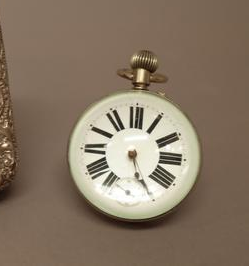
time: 5:26
